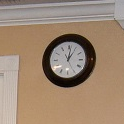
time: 1:01
